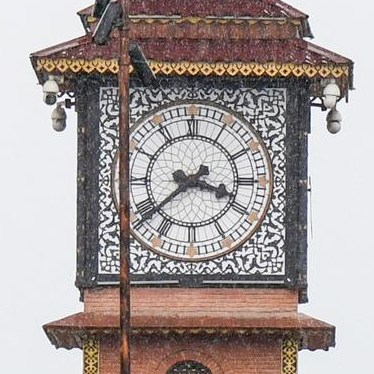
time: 3:39
